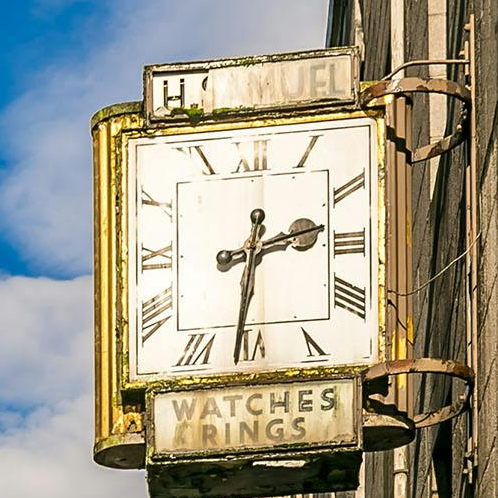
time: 2:31
